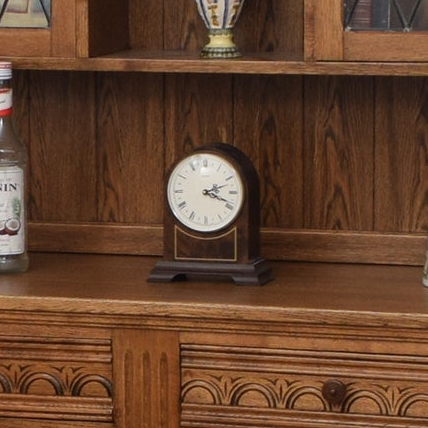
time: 2:18
